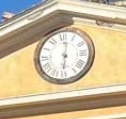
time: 6:01
